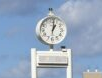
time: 1:01
